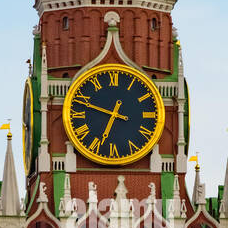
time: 6:48
